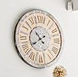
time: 7:52
